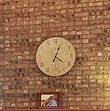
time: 4:03
